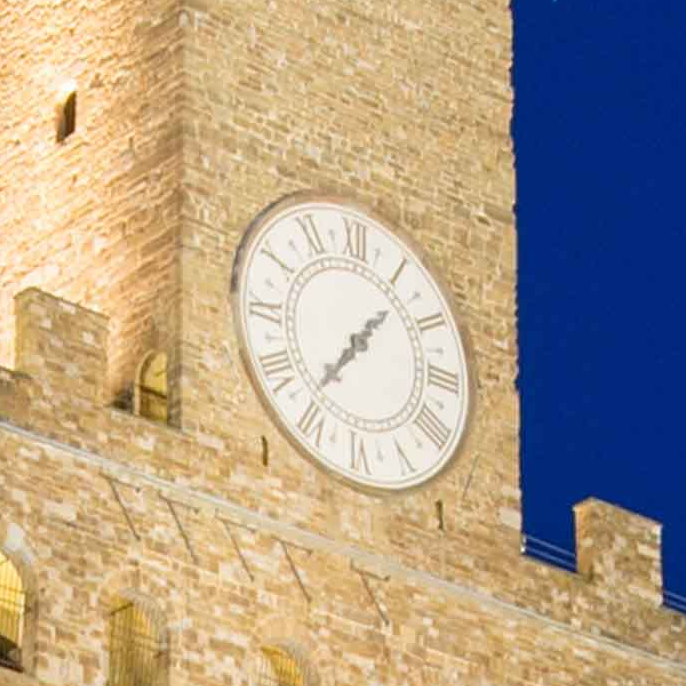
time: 1:36
